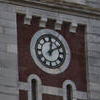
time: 12:10
